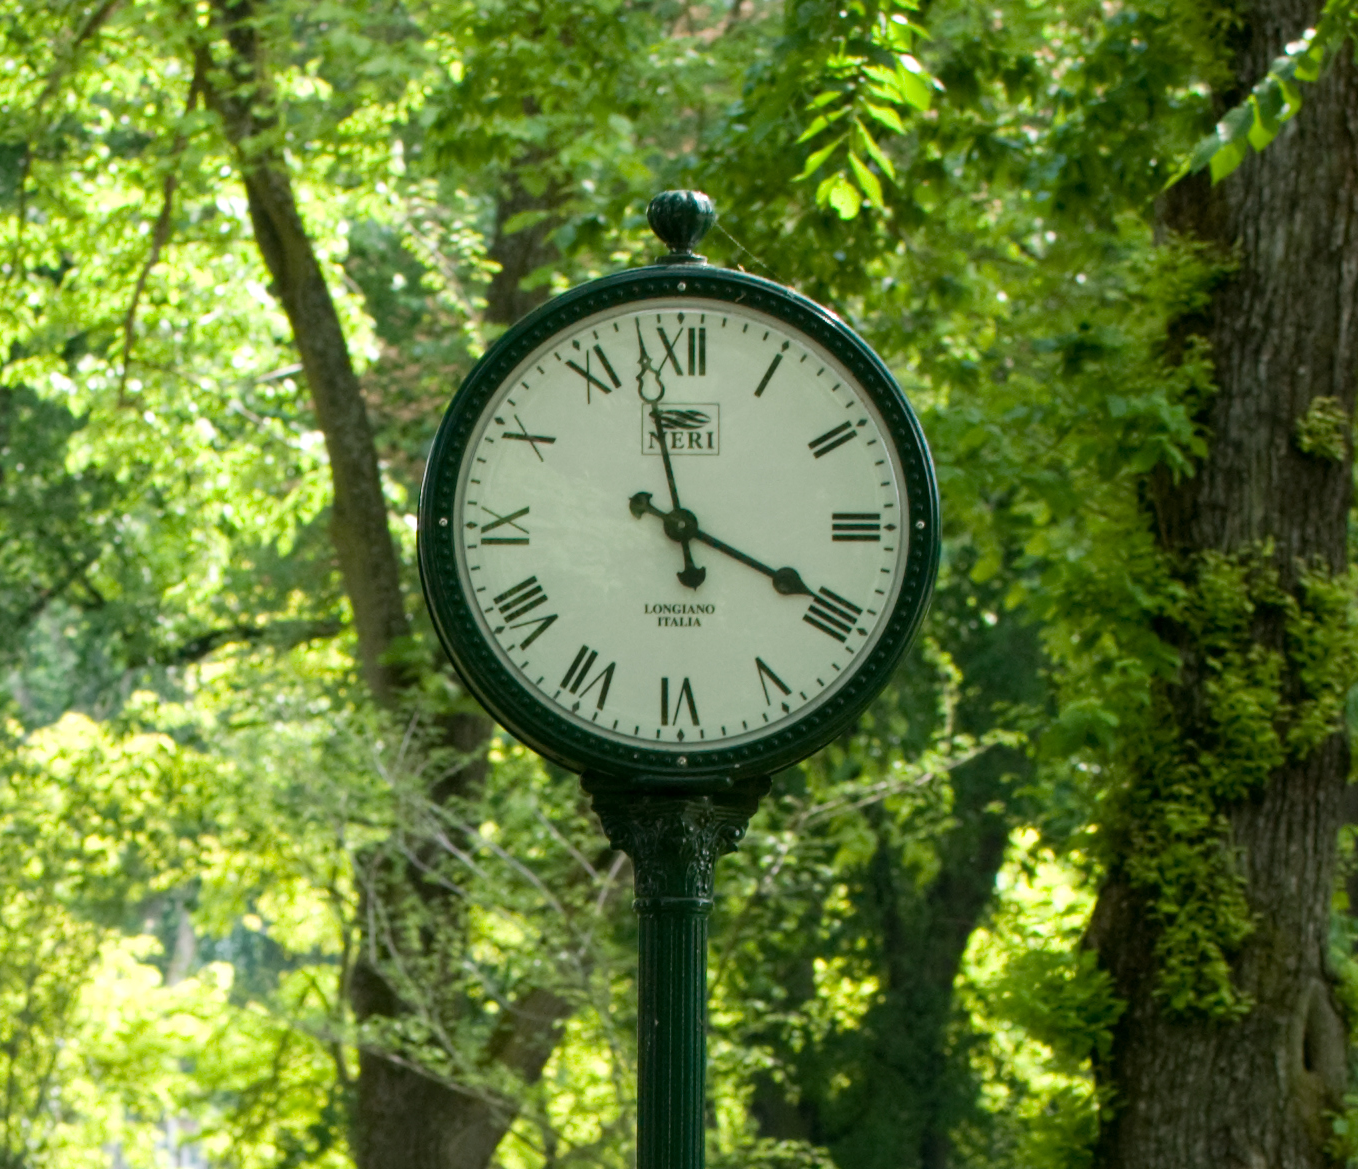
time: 3:57
